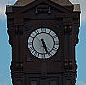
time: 5:26
